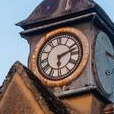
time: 6:12
